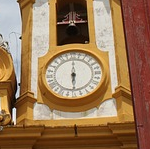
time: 5:59
